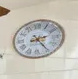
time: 2:24
